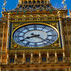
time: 8:21
